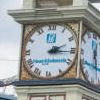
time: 2:15
